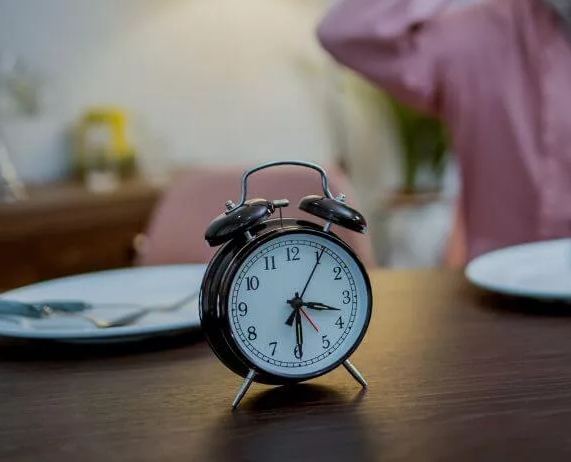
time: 3:29
